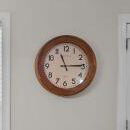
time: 11:14
